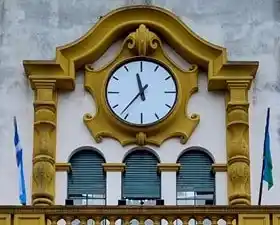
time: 11:36
